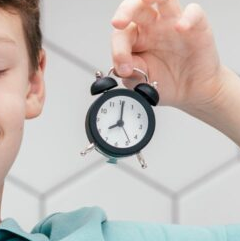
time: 8:00
